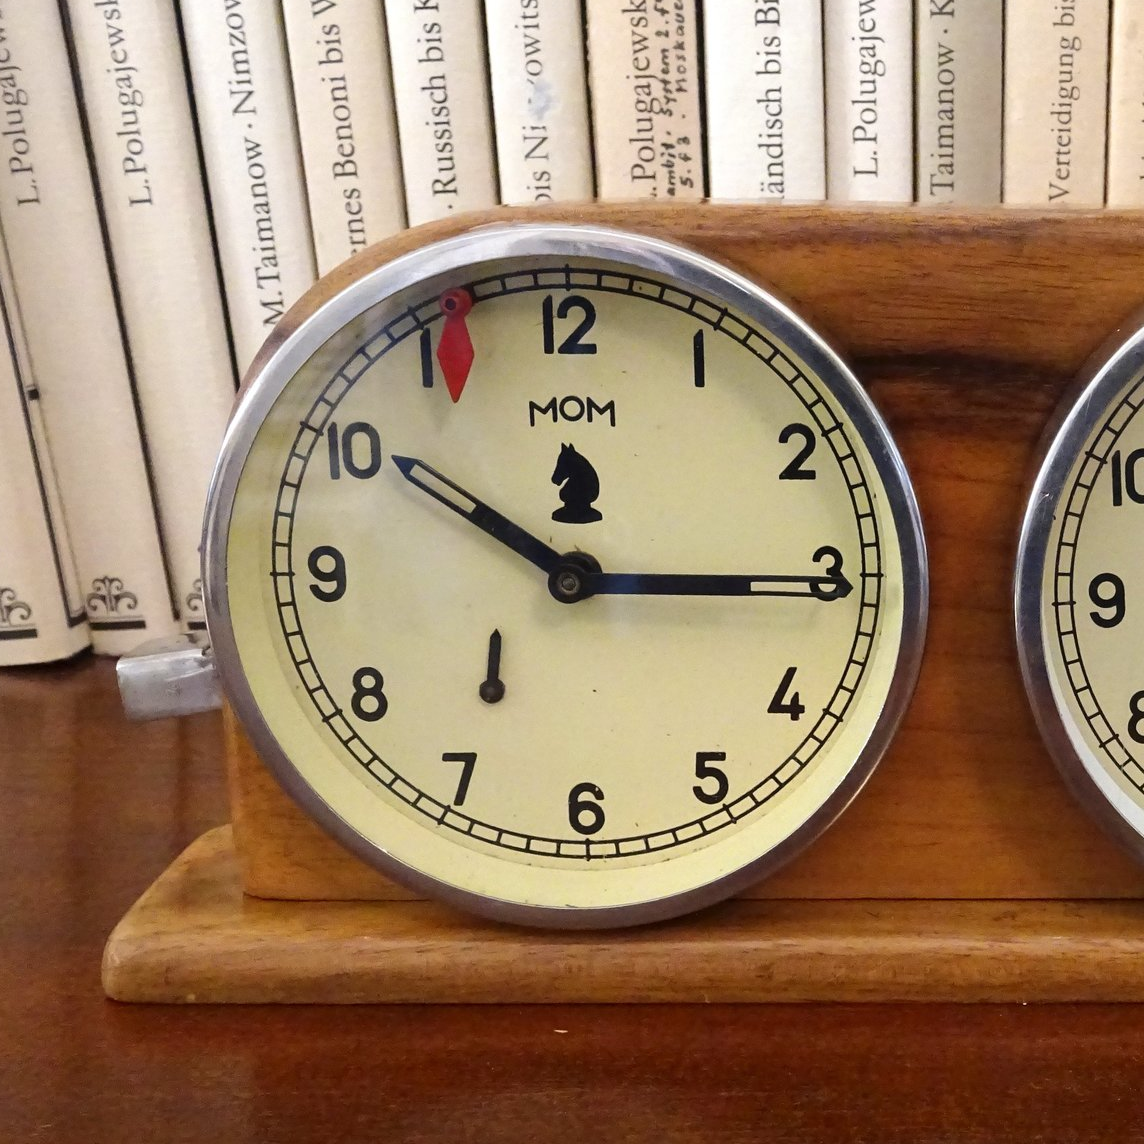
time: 10:15
